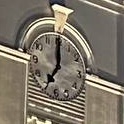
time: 7:00
